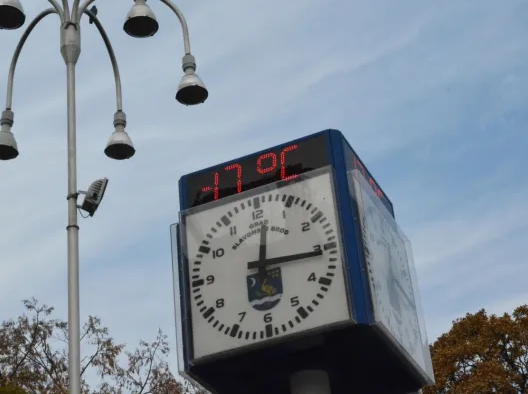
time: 12:15
